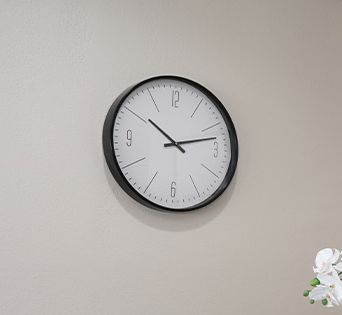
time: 10:12
